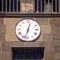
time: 12:32
